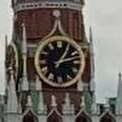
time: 1:12
